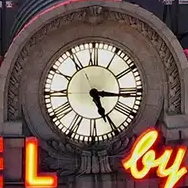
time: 5:15
